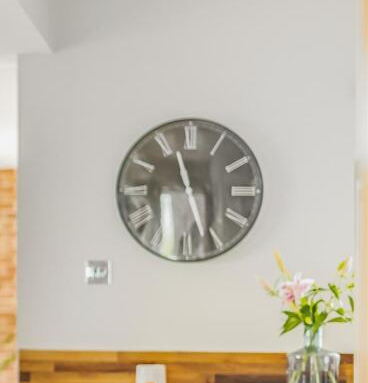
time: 11:26
